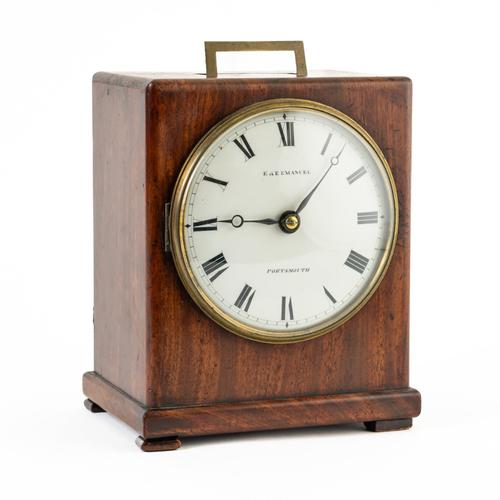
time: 9:07
